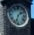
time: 1:33
